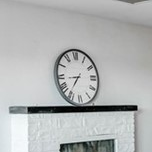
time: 8:36
